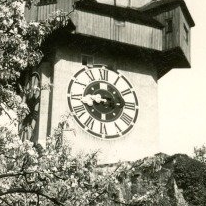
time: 8:14
